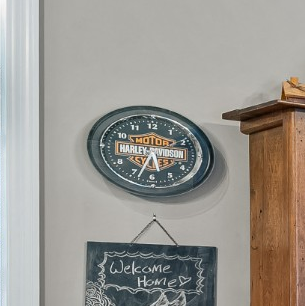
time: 5:33
